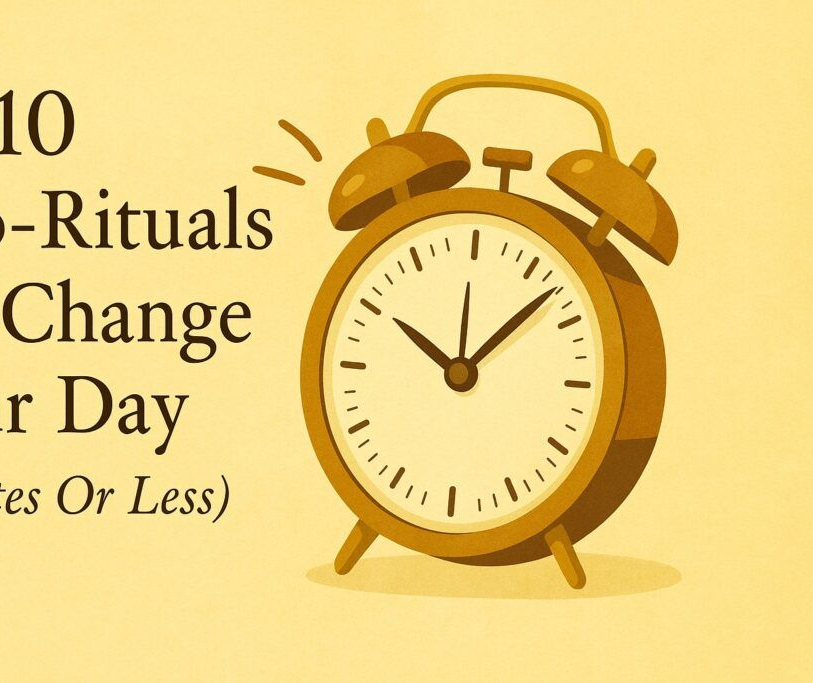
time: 10:07
